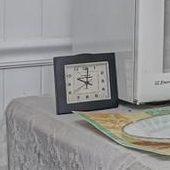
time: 10:00
